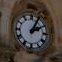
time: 2:04
